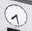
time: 7:27
